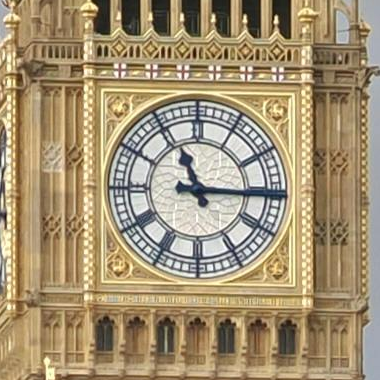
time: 11:15
